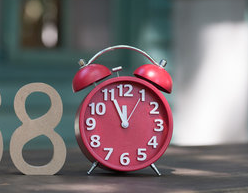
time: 11:55
